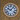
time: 10:07
